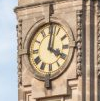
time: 4:01
